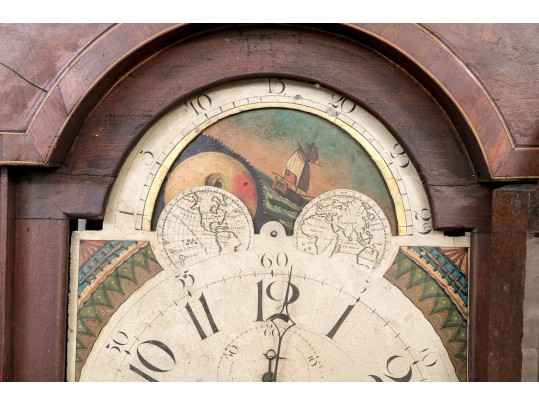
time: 12:52
